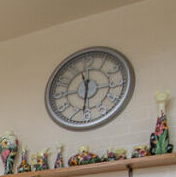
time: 11:31
